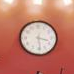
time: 3:29
